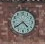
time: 4:39
